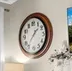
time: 1:36
